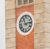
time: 11:13
